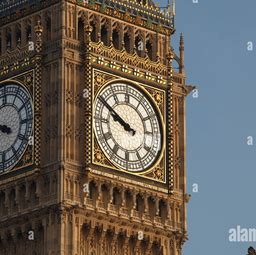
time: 9:50
